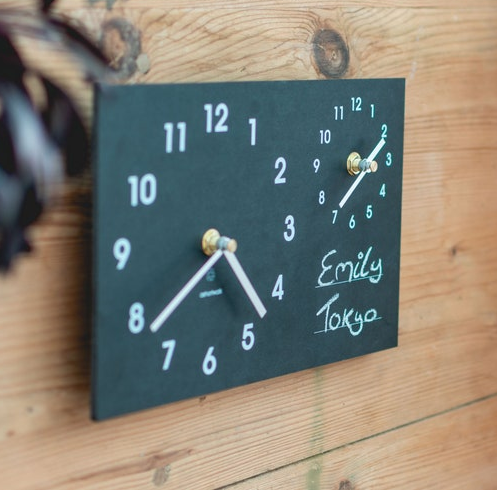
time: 4:38
